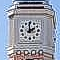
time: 1:59
